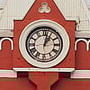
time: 1:02
